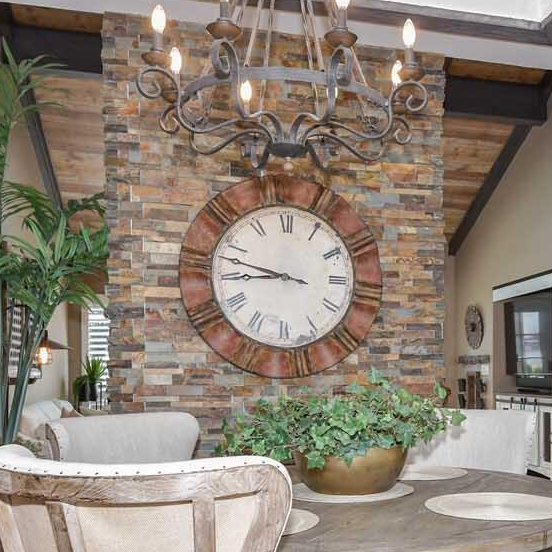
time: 8:47
